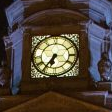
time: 6:36
